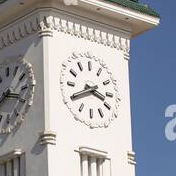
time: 3:40
